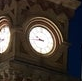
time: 9:43
